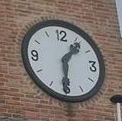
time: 1:30
